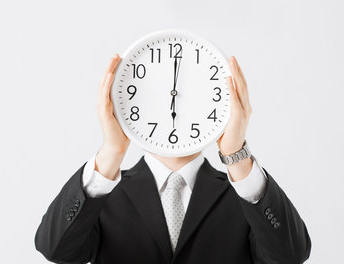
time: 6:00
